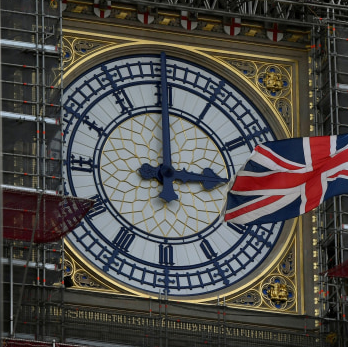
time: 3:00
